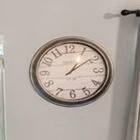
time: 1:09
